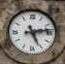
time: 5:13
